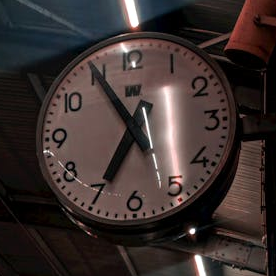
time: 6:54
